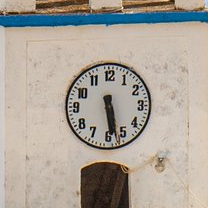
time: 5:28
